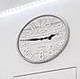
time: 2:46
